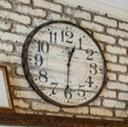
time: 12:30
